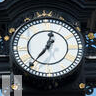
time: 12:36
